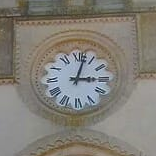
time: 3:02
